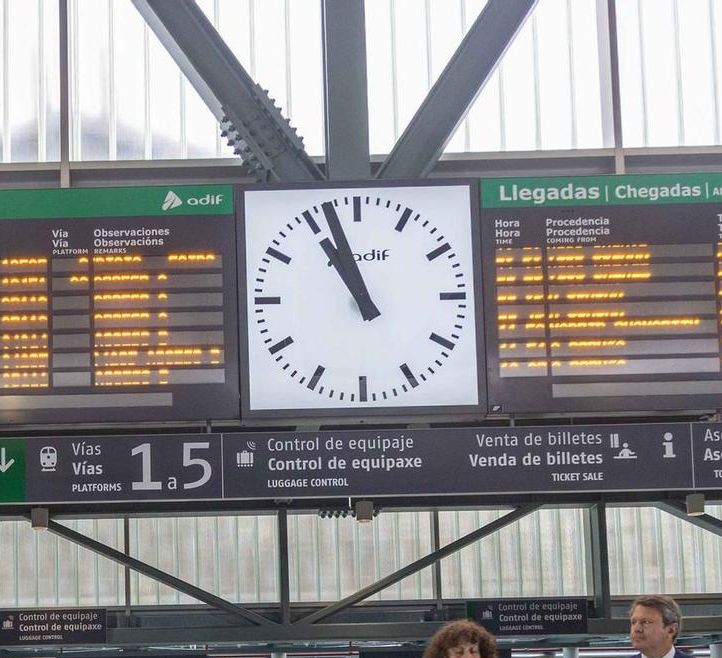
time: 10:56
